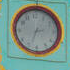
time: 2:33
